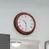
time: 10:28
